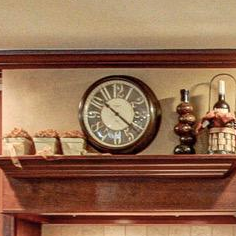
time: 10:21
